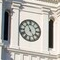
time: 4:55
